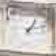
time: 1:12
